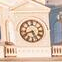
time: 8:26
